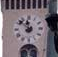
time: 11:52
